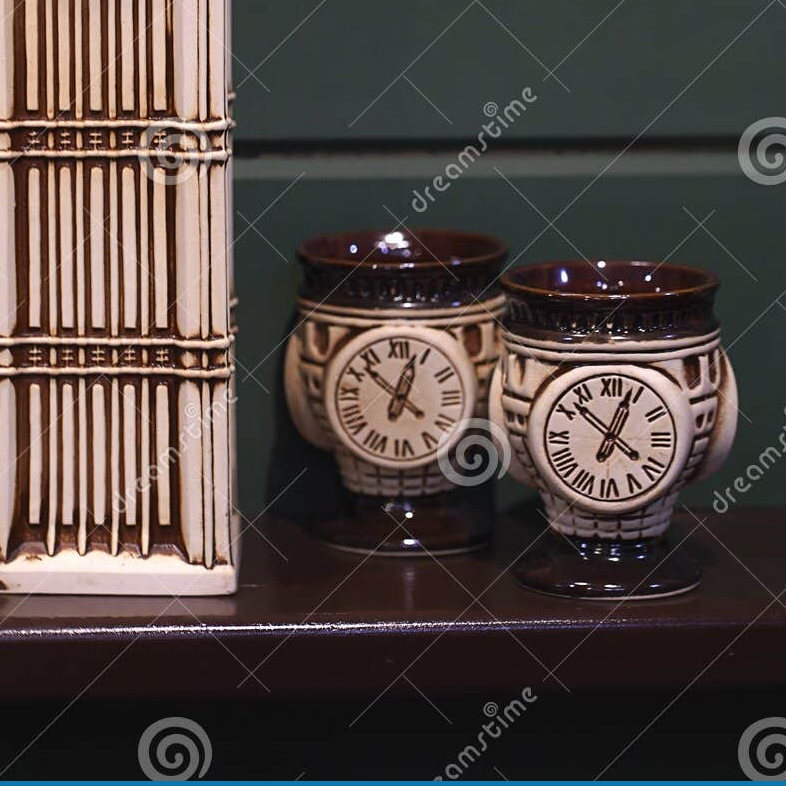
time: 12:52
